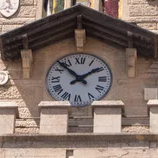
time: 1:52
